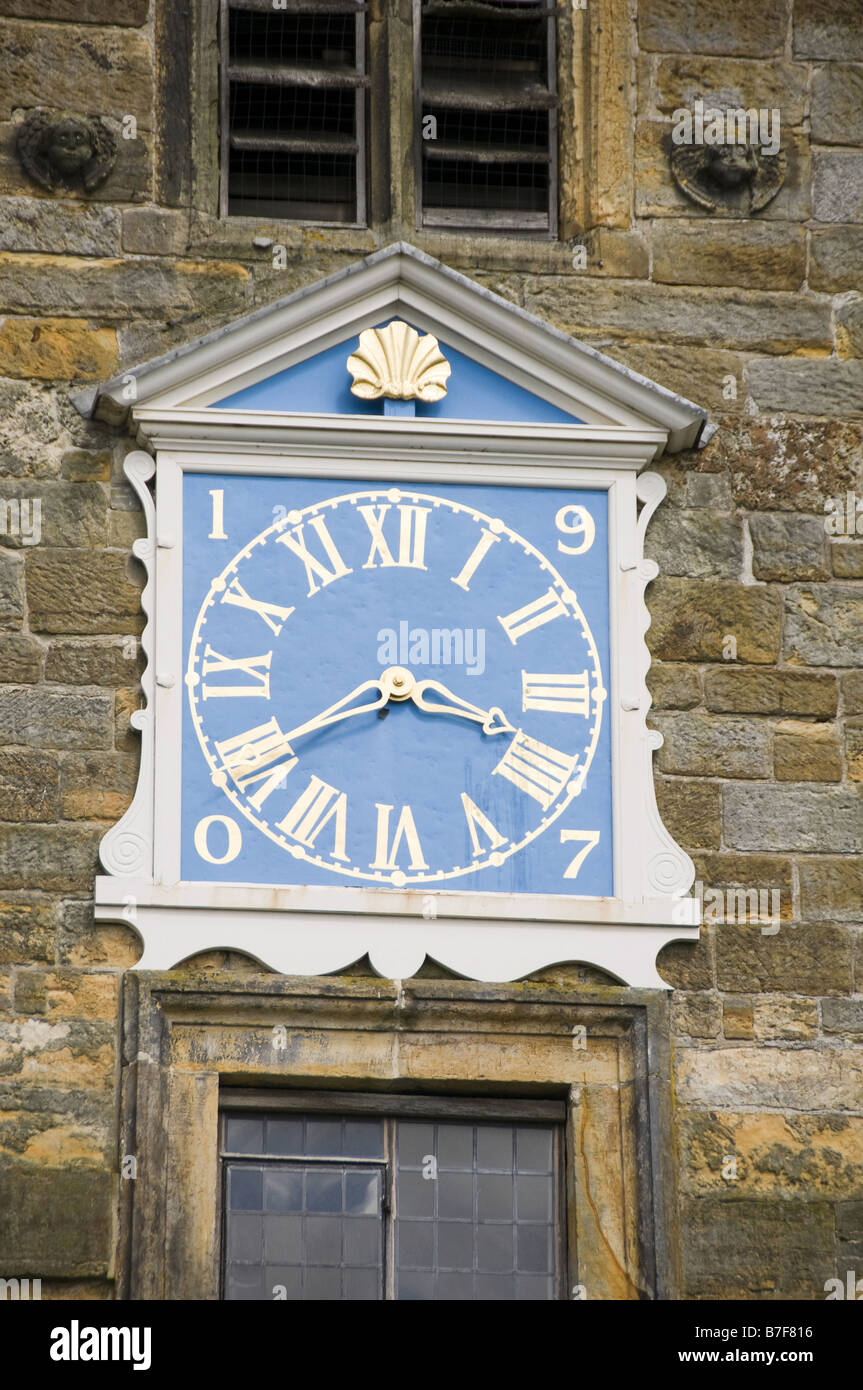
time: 3:40
